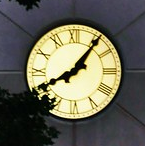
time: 8:06
